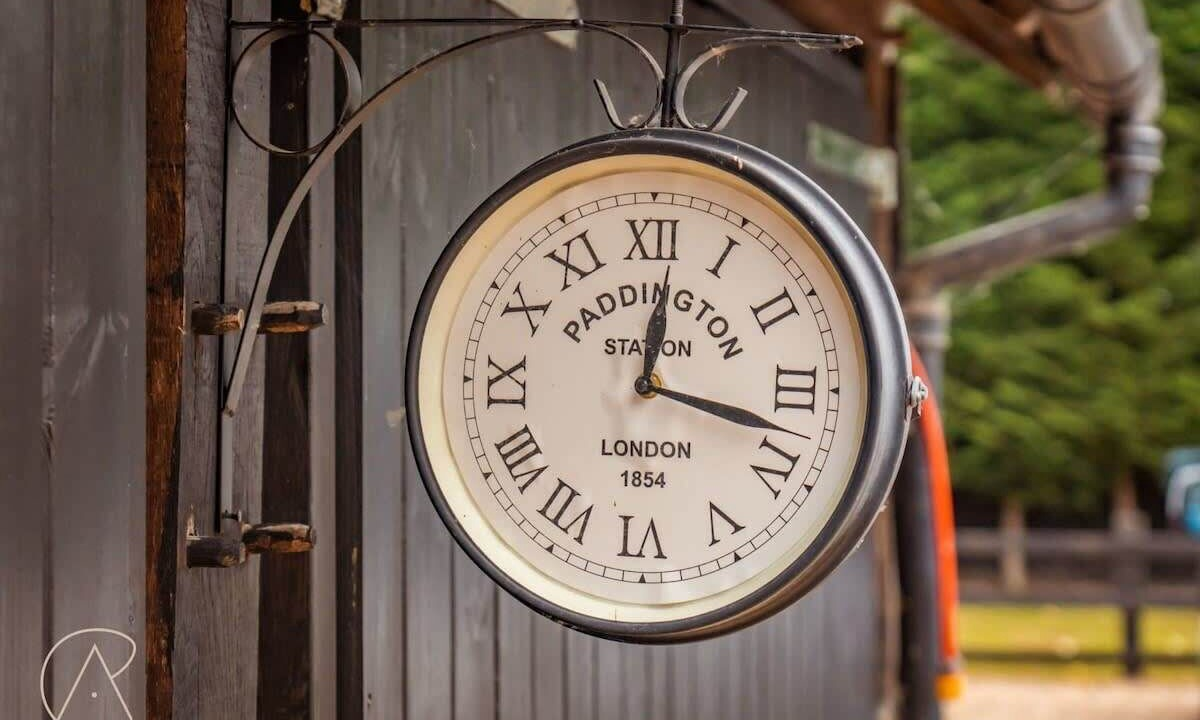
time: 12:17
